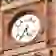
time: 5:35
